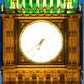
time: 6:38
